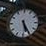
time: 5:25
